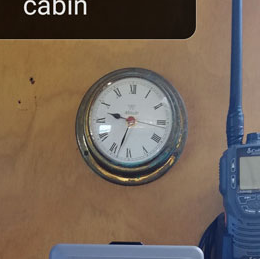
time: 9:33
